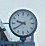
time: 9:39
